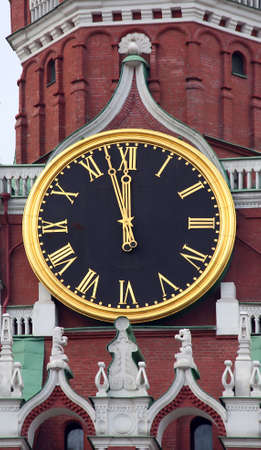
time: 11:57
